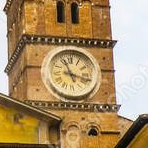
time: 11:17
